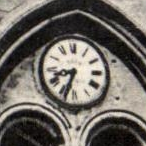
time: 8:33
